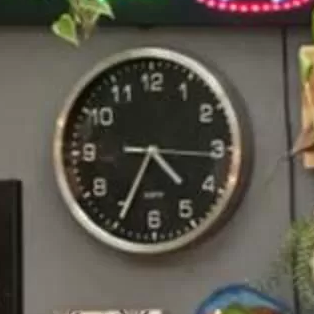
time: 4:34
